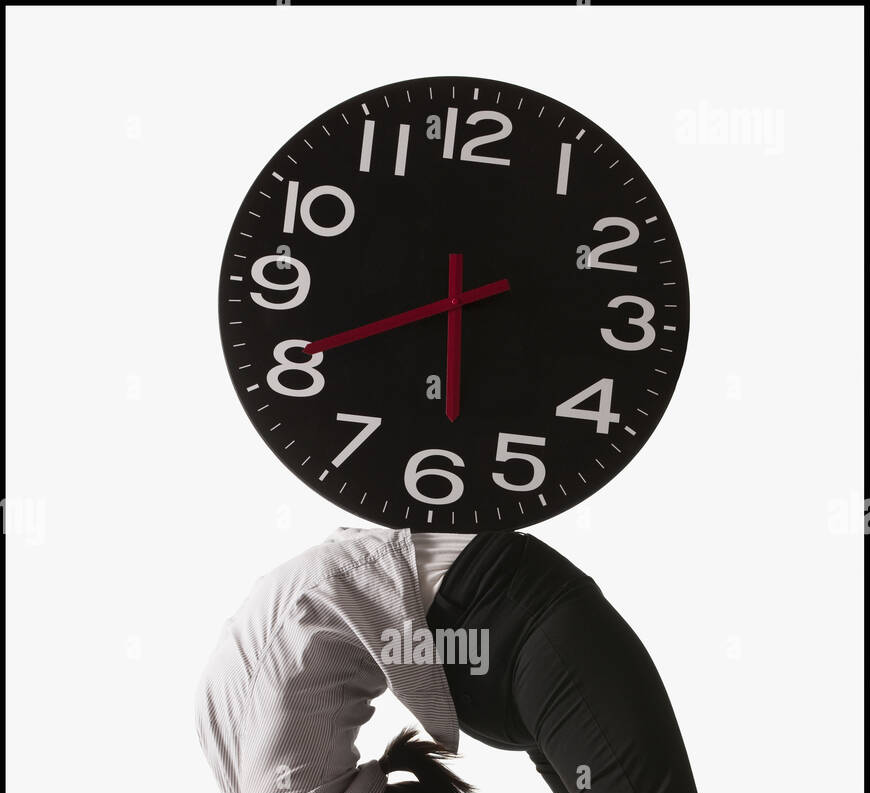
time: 5:40
